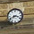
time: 8:17
